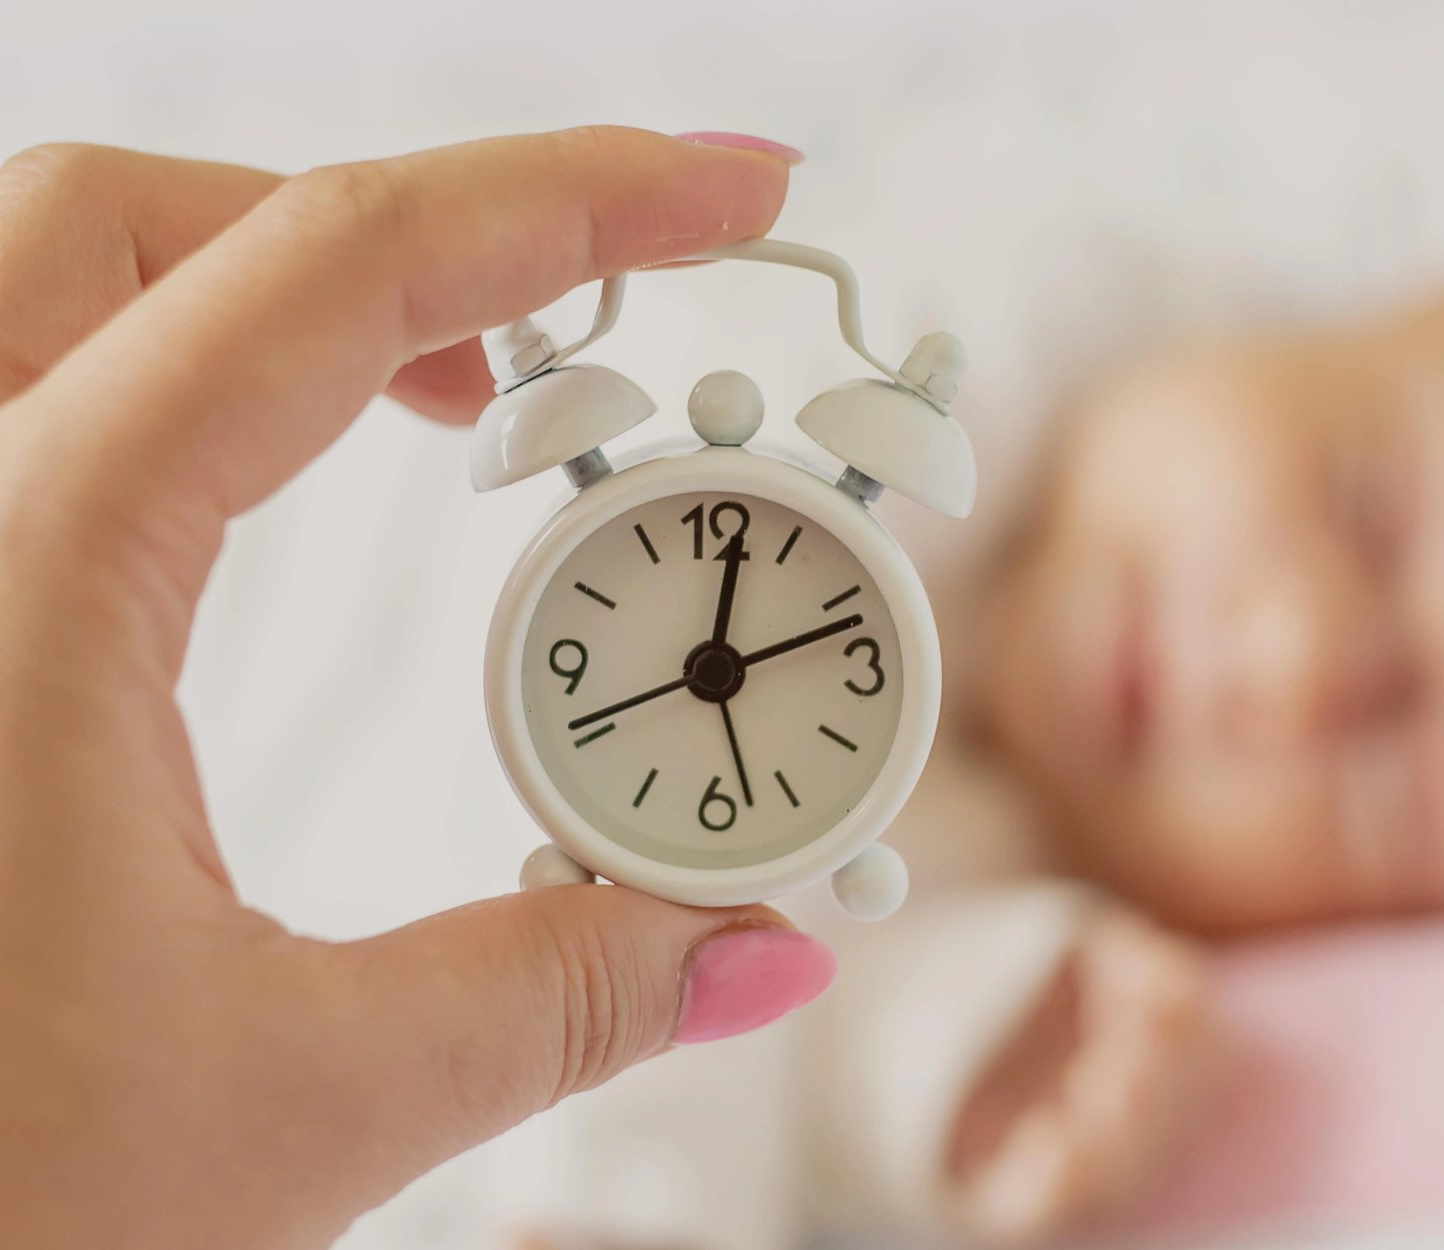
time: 12:11
